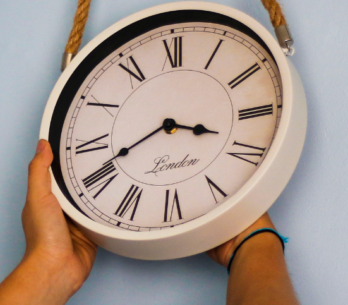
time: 3:40
